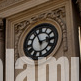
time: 2:56
